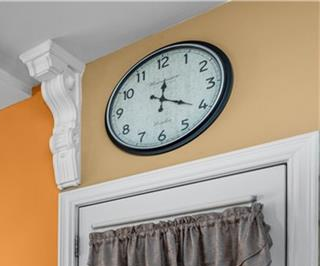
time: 12:20
